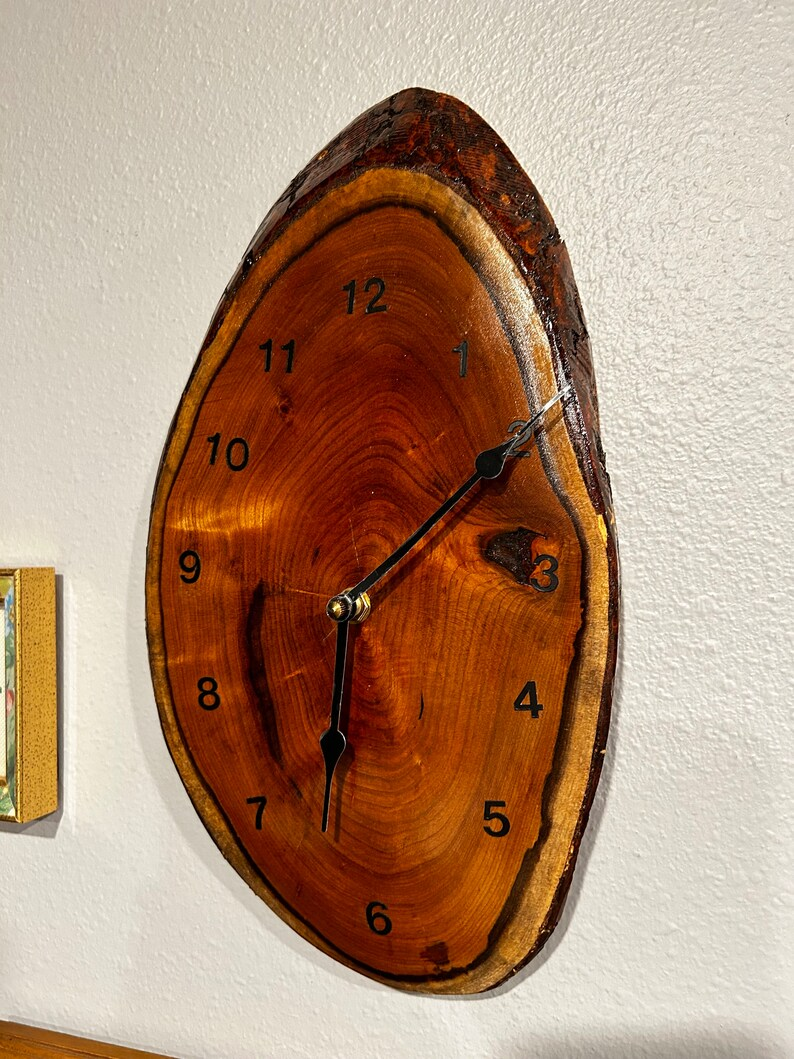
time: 6:10
